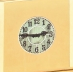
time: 2:46
